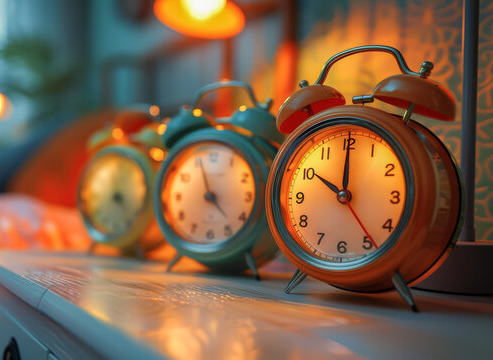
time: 10:00
